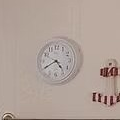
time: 4:40
